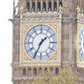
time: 1:34
